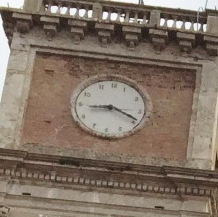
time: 3:44
